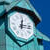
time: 12:13
